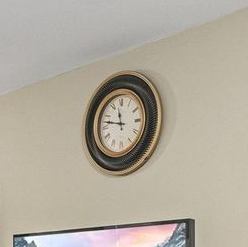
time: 11:46
